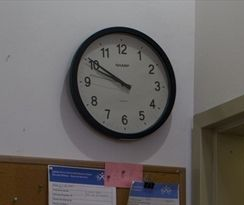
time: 9:50
